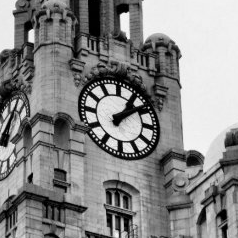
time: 1:08
